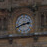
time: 2:41
